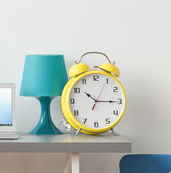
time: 10:15
